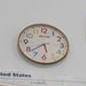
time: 5:38
